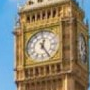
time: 12:24
